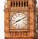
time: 8:11
